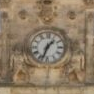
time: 1:33
